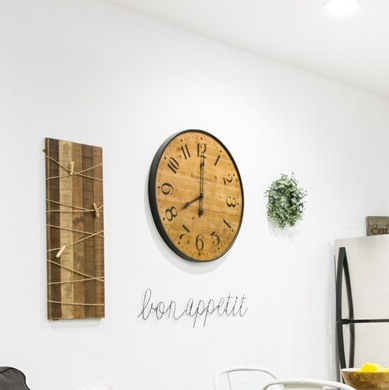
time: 8:00
